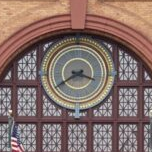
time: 3:40
